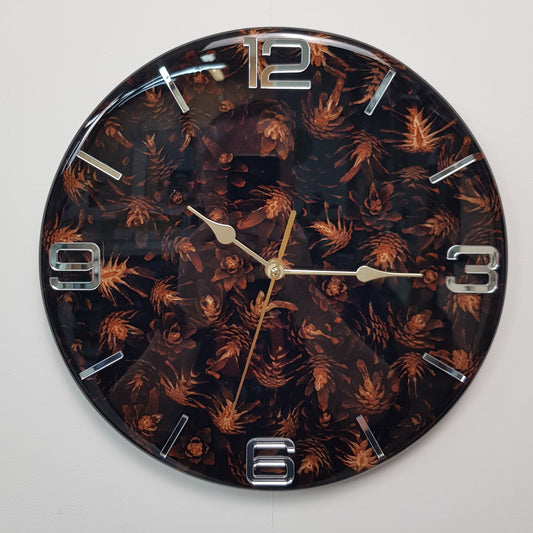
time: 10:15
